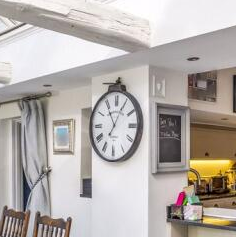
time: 11:04
